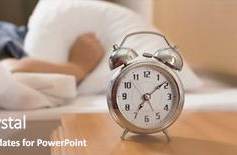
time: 7:08
